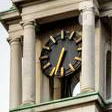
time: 6:34
